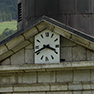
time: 3:41
